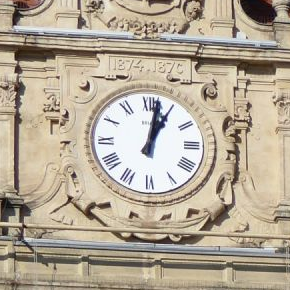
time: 1:02
